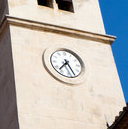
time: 7:25
